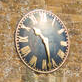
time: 10:28
